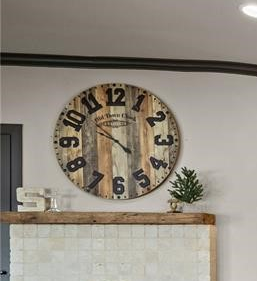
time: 10:02
